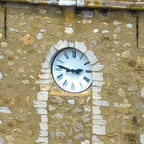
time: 2:46
